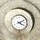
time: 4:10
